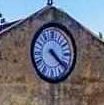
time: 4:21
